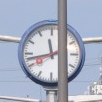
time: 11:42
